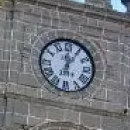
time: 12:05
